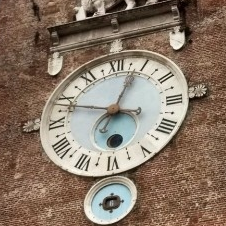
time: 12:47
